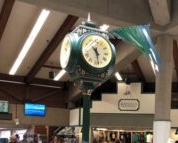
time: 10:28
